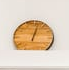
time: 6:02
